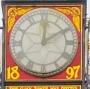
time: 12:09
